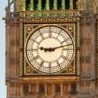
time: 9:12
